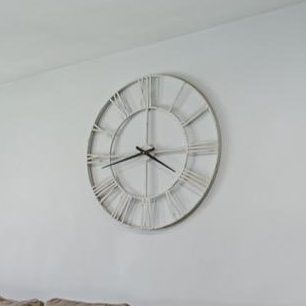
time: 3:43
